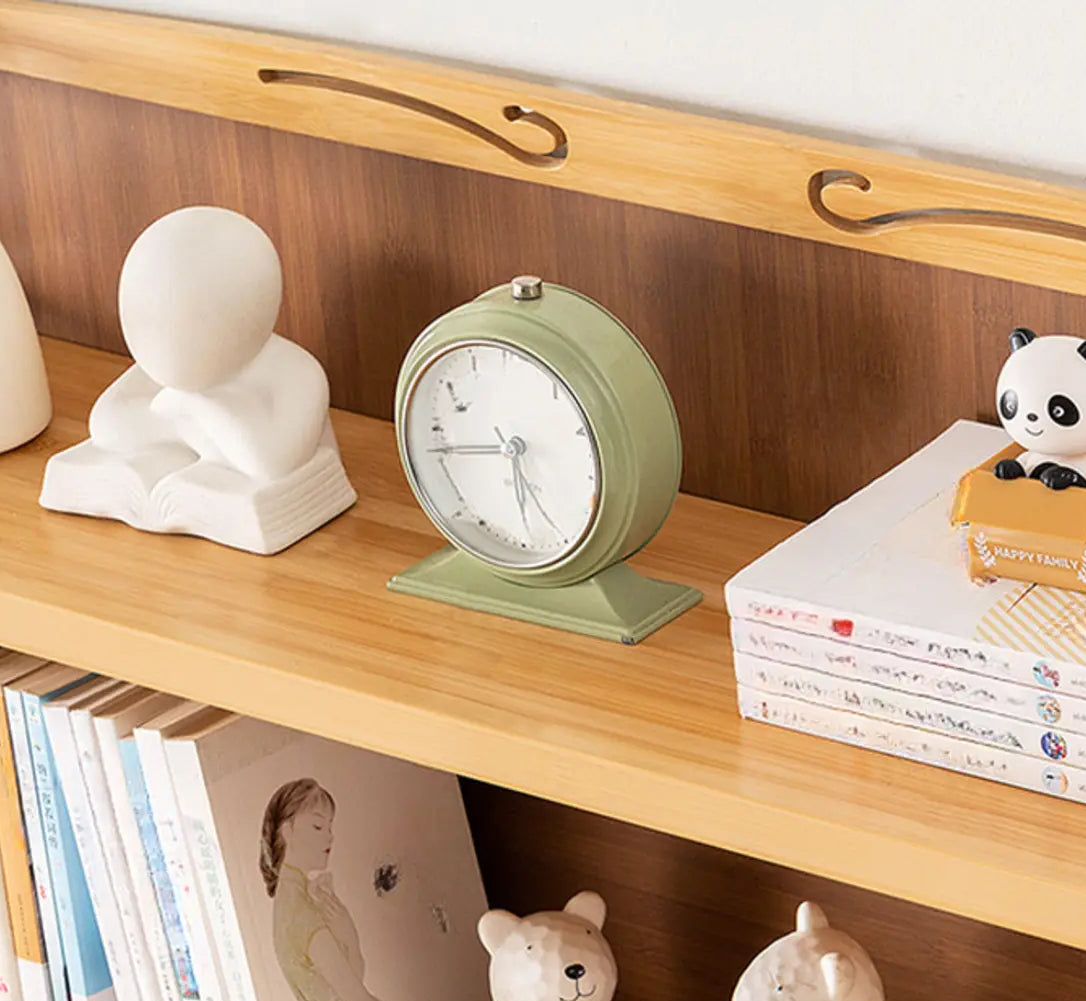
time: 5:41
